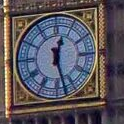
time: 12:27
